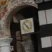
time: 4:52
